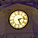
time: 5:12
